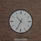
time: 10:34
